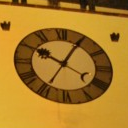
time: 10:04
